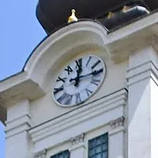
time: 12:14
